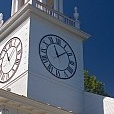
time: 11:08
